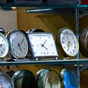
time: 4:07
